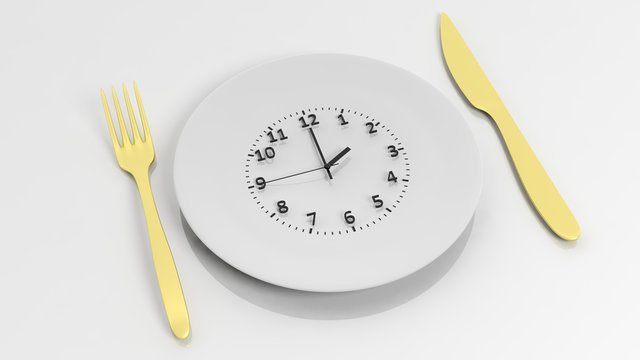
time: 2:00
